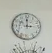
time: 2:59
